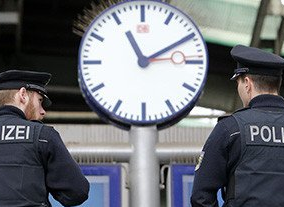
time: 11:10
